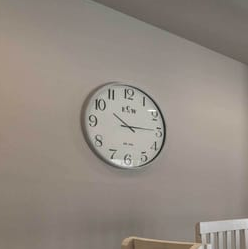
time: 10:14
